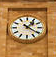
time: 1:20
